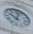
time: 10:02
